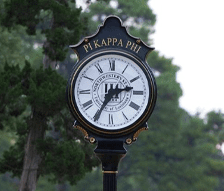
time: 2:34
